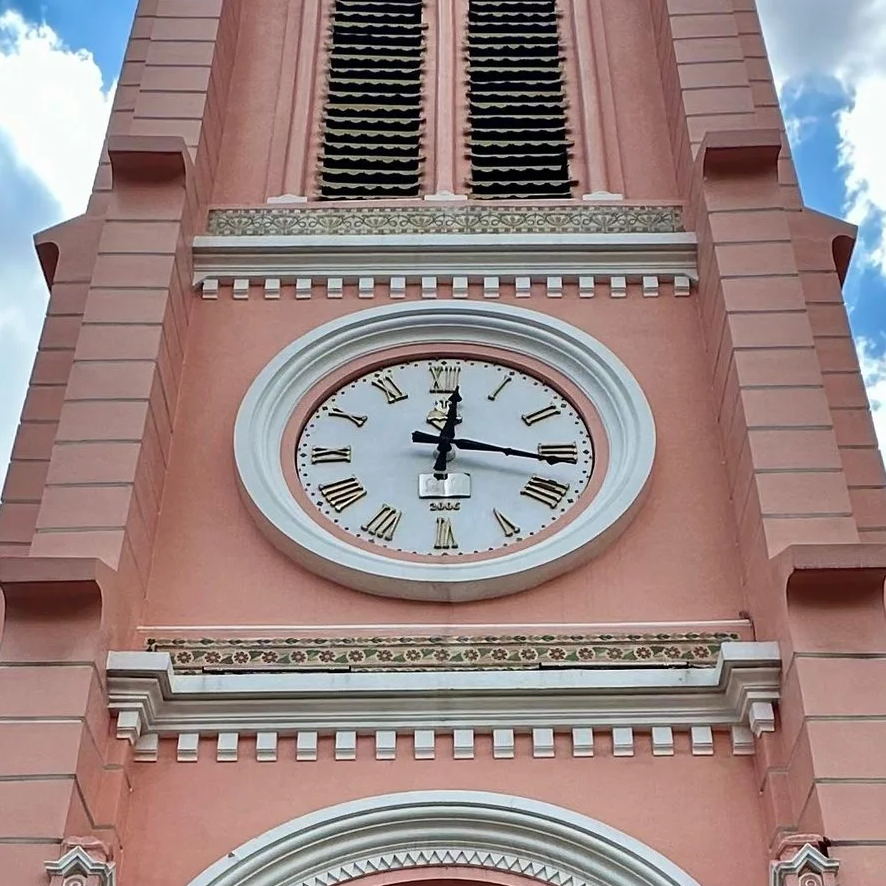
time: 12:16
